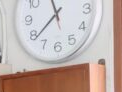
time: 11:38
